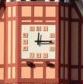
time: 12:15
